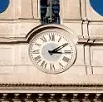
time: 3:09
